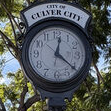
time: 12:21
